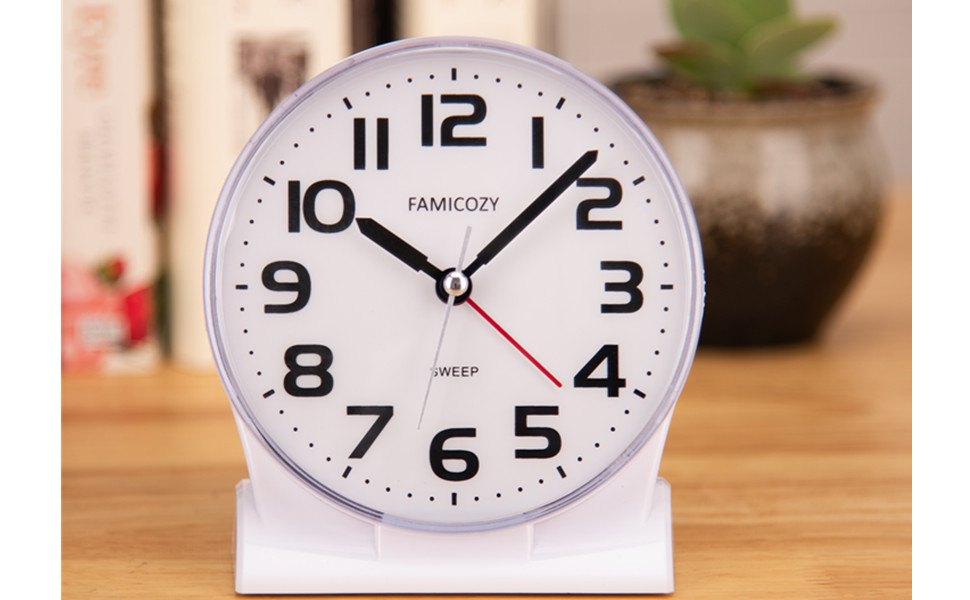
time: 10:07
